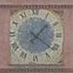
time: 1:21
